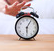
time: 6:05
